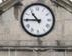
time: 10:45
